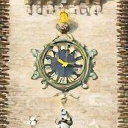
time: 10:15
